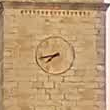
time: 7:42
